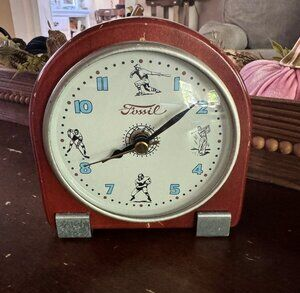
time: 8:08
